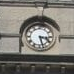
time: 3:27
